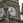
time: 11:42
